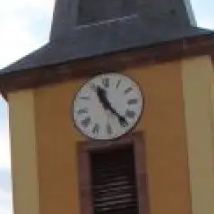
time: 11:23
